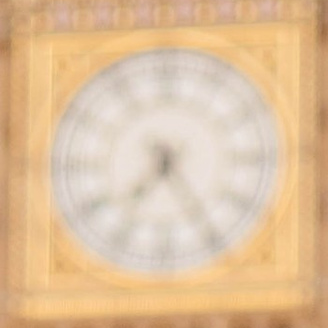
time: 7:24
